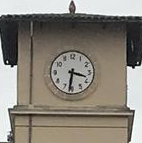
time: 3:31
